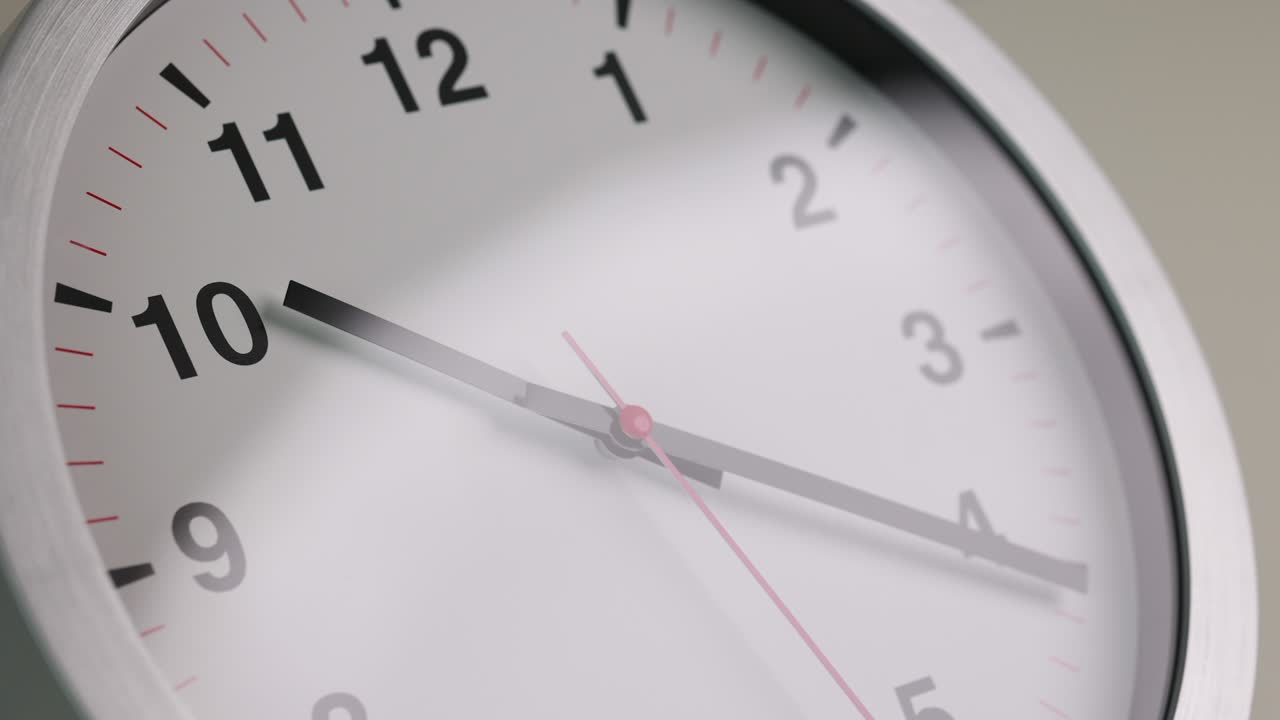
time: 10:20
